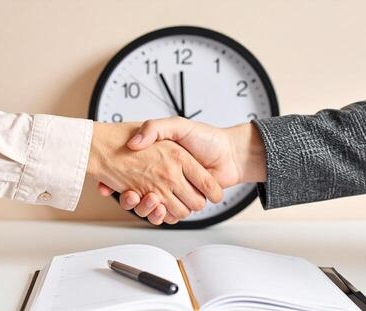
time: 11:55
